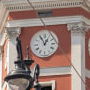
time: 12:55
